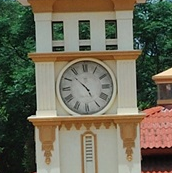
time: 4:52
